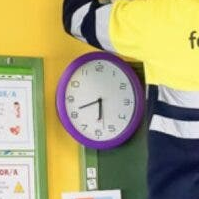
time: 5:41
